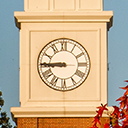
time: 8:45
